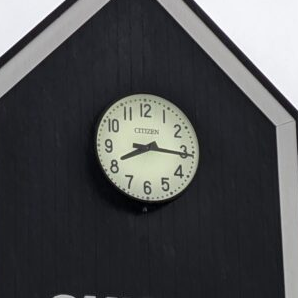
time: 8:15
